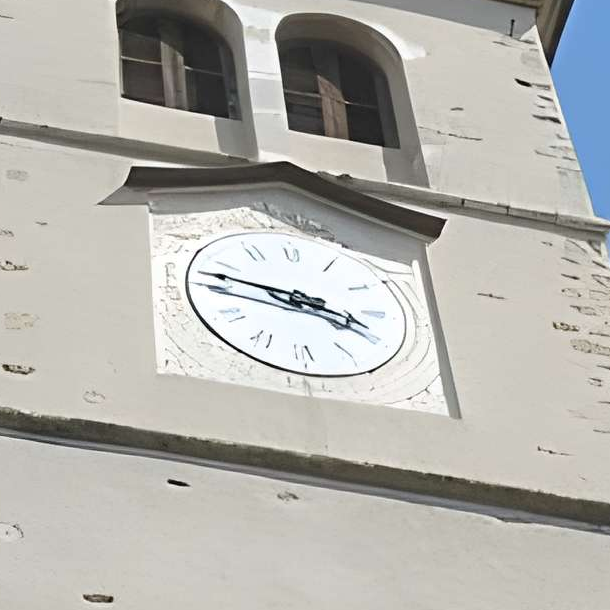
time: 3:47
